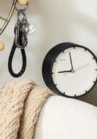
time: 8:57
